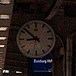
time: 8:52
